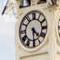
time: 4:29
